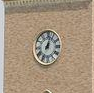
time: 1:02
